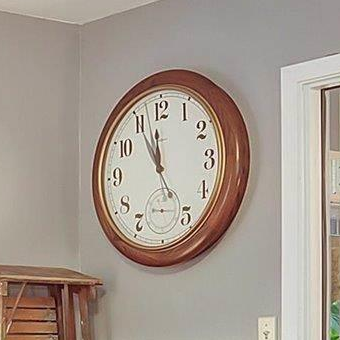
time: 11:55
